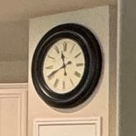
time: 11:40
